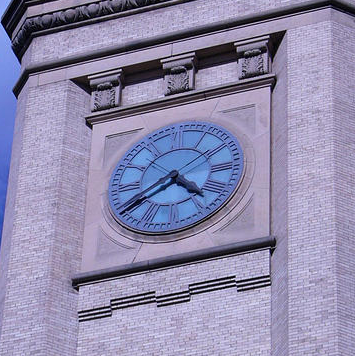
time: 4:39
